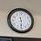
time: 5:30
